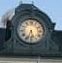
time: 5:33
